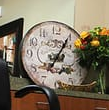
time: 7:05
